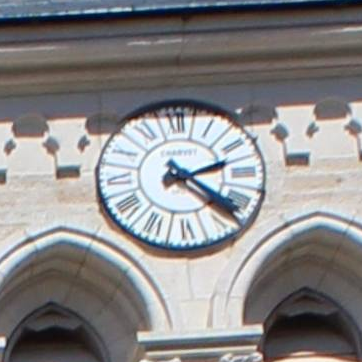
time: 2:21
